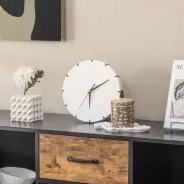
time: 6:10
